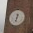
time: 12:32
